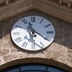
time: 11:20
